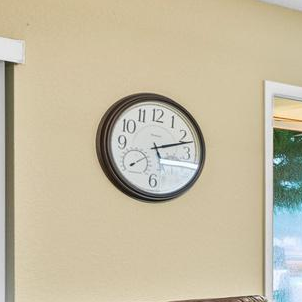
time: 5:12
